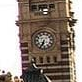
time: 6:34
